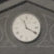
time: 11:19
